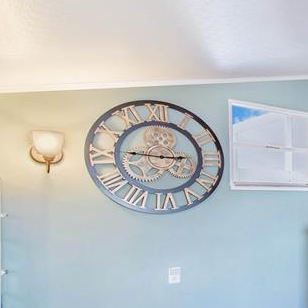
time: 2:46
